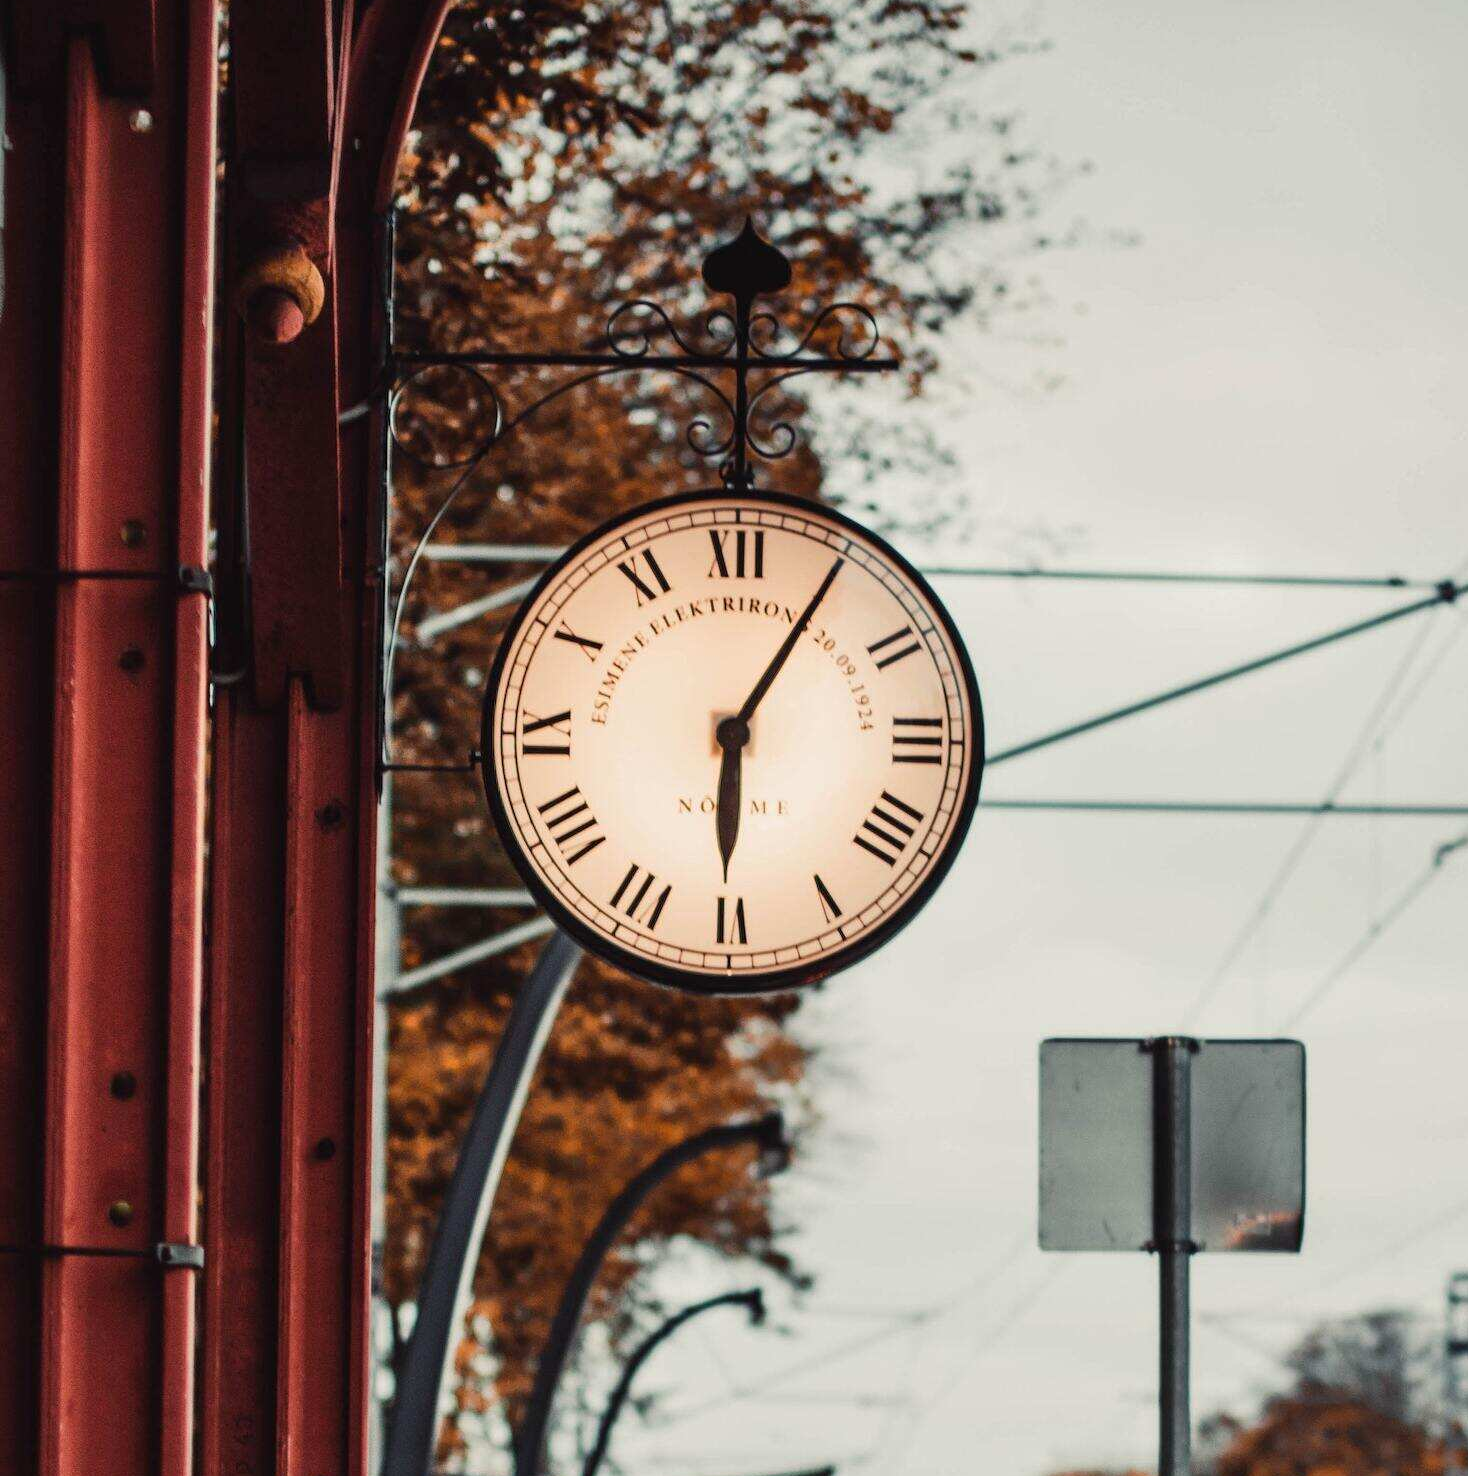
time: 6:05
